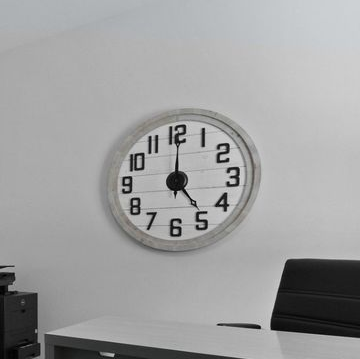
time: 5:00
